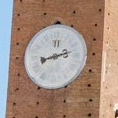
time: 8:12
